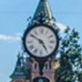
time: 4:50
